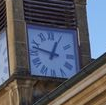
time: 12:47
